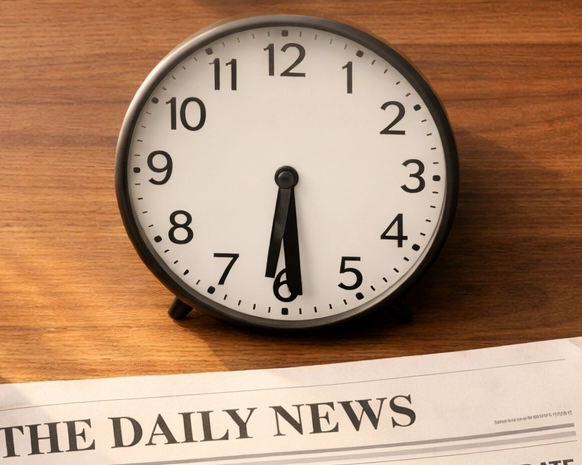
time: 6:29
